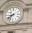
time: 8:38
